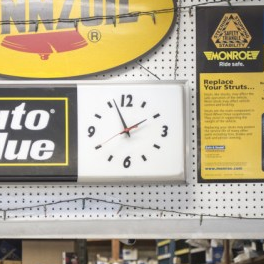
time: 1:56
